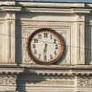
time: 6:30
